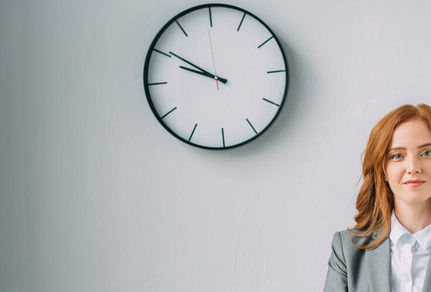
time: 9:50
